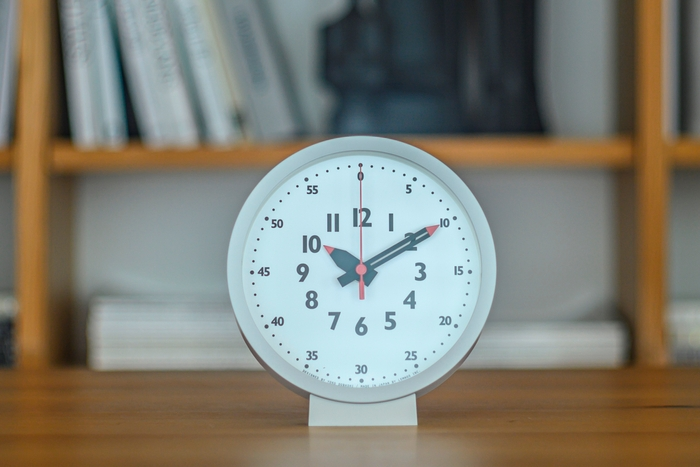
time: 10:09
